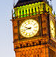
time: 9:42
